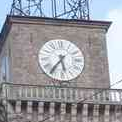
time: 5:36
